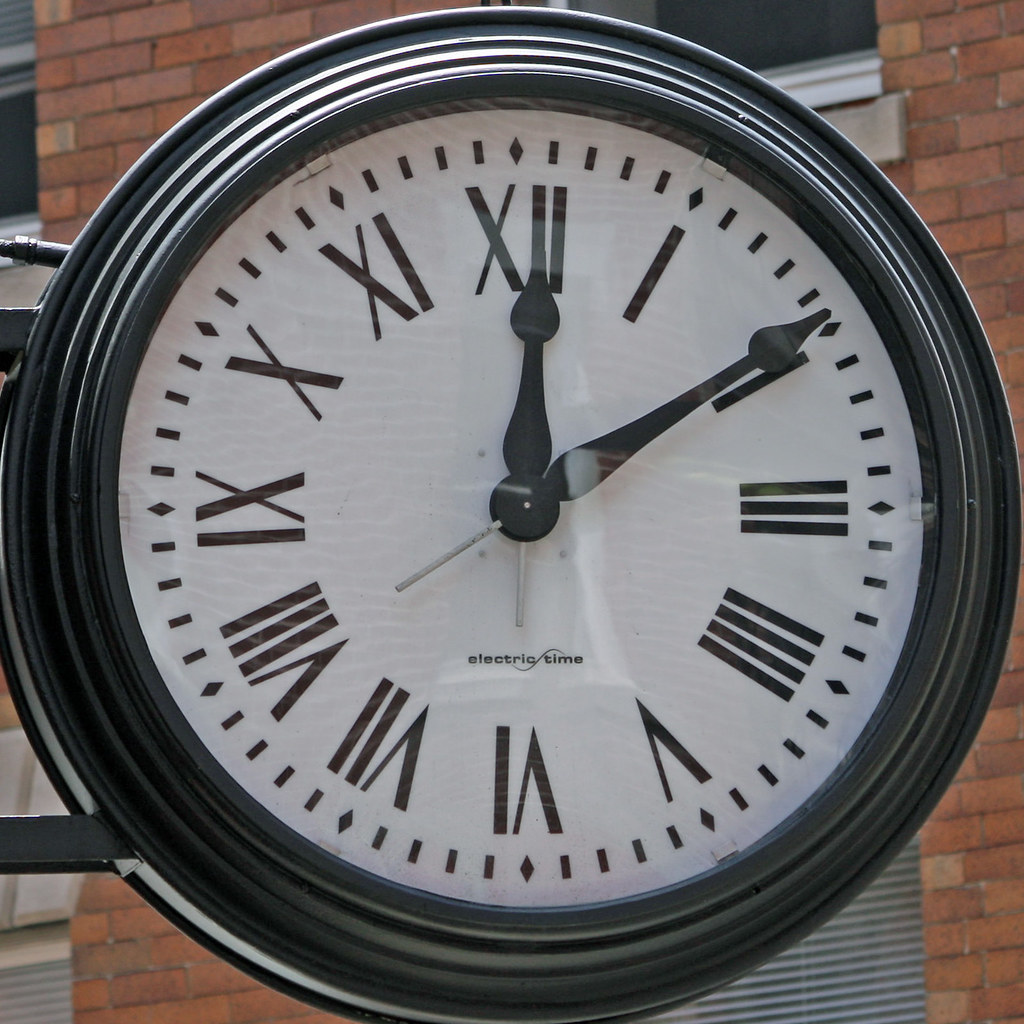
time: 12:09
